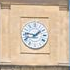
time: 1:46
